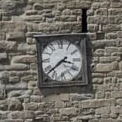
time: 3:38
